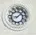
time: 8:07
